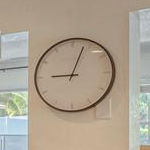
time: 9:03
